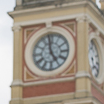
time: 4:58
